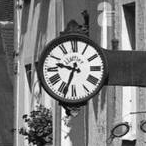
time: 9:33
